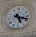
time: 5:17
